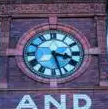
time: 3:27
